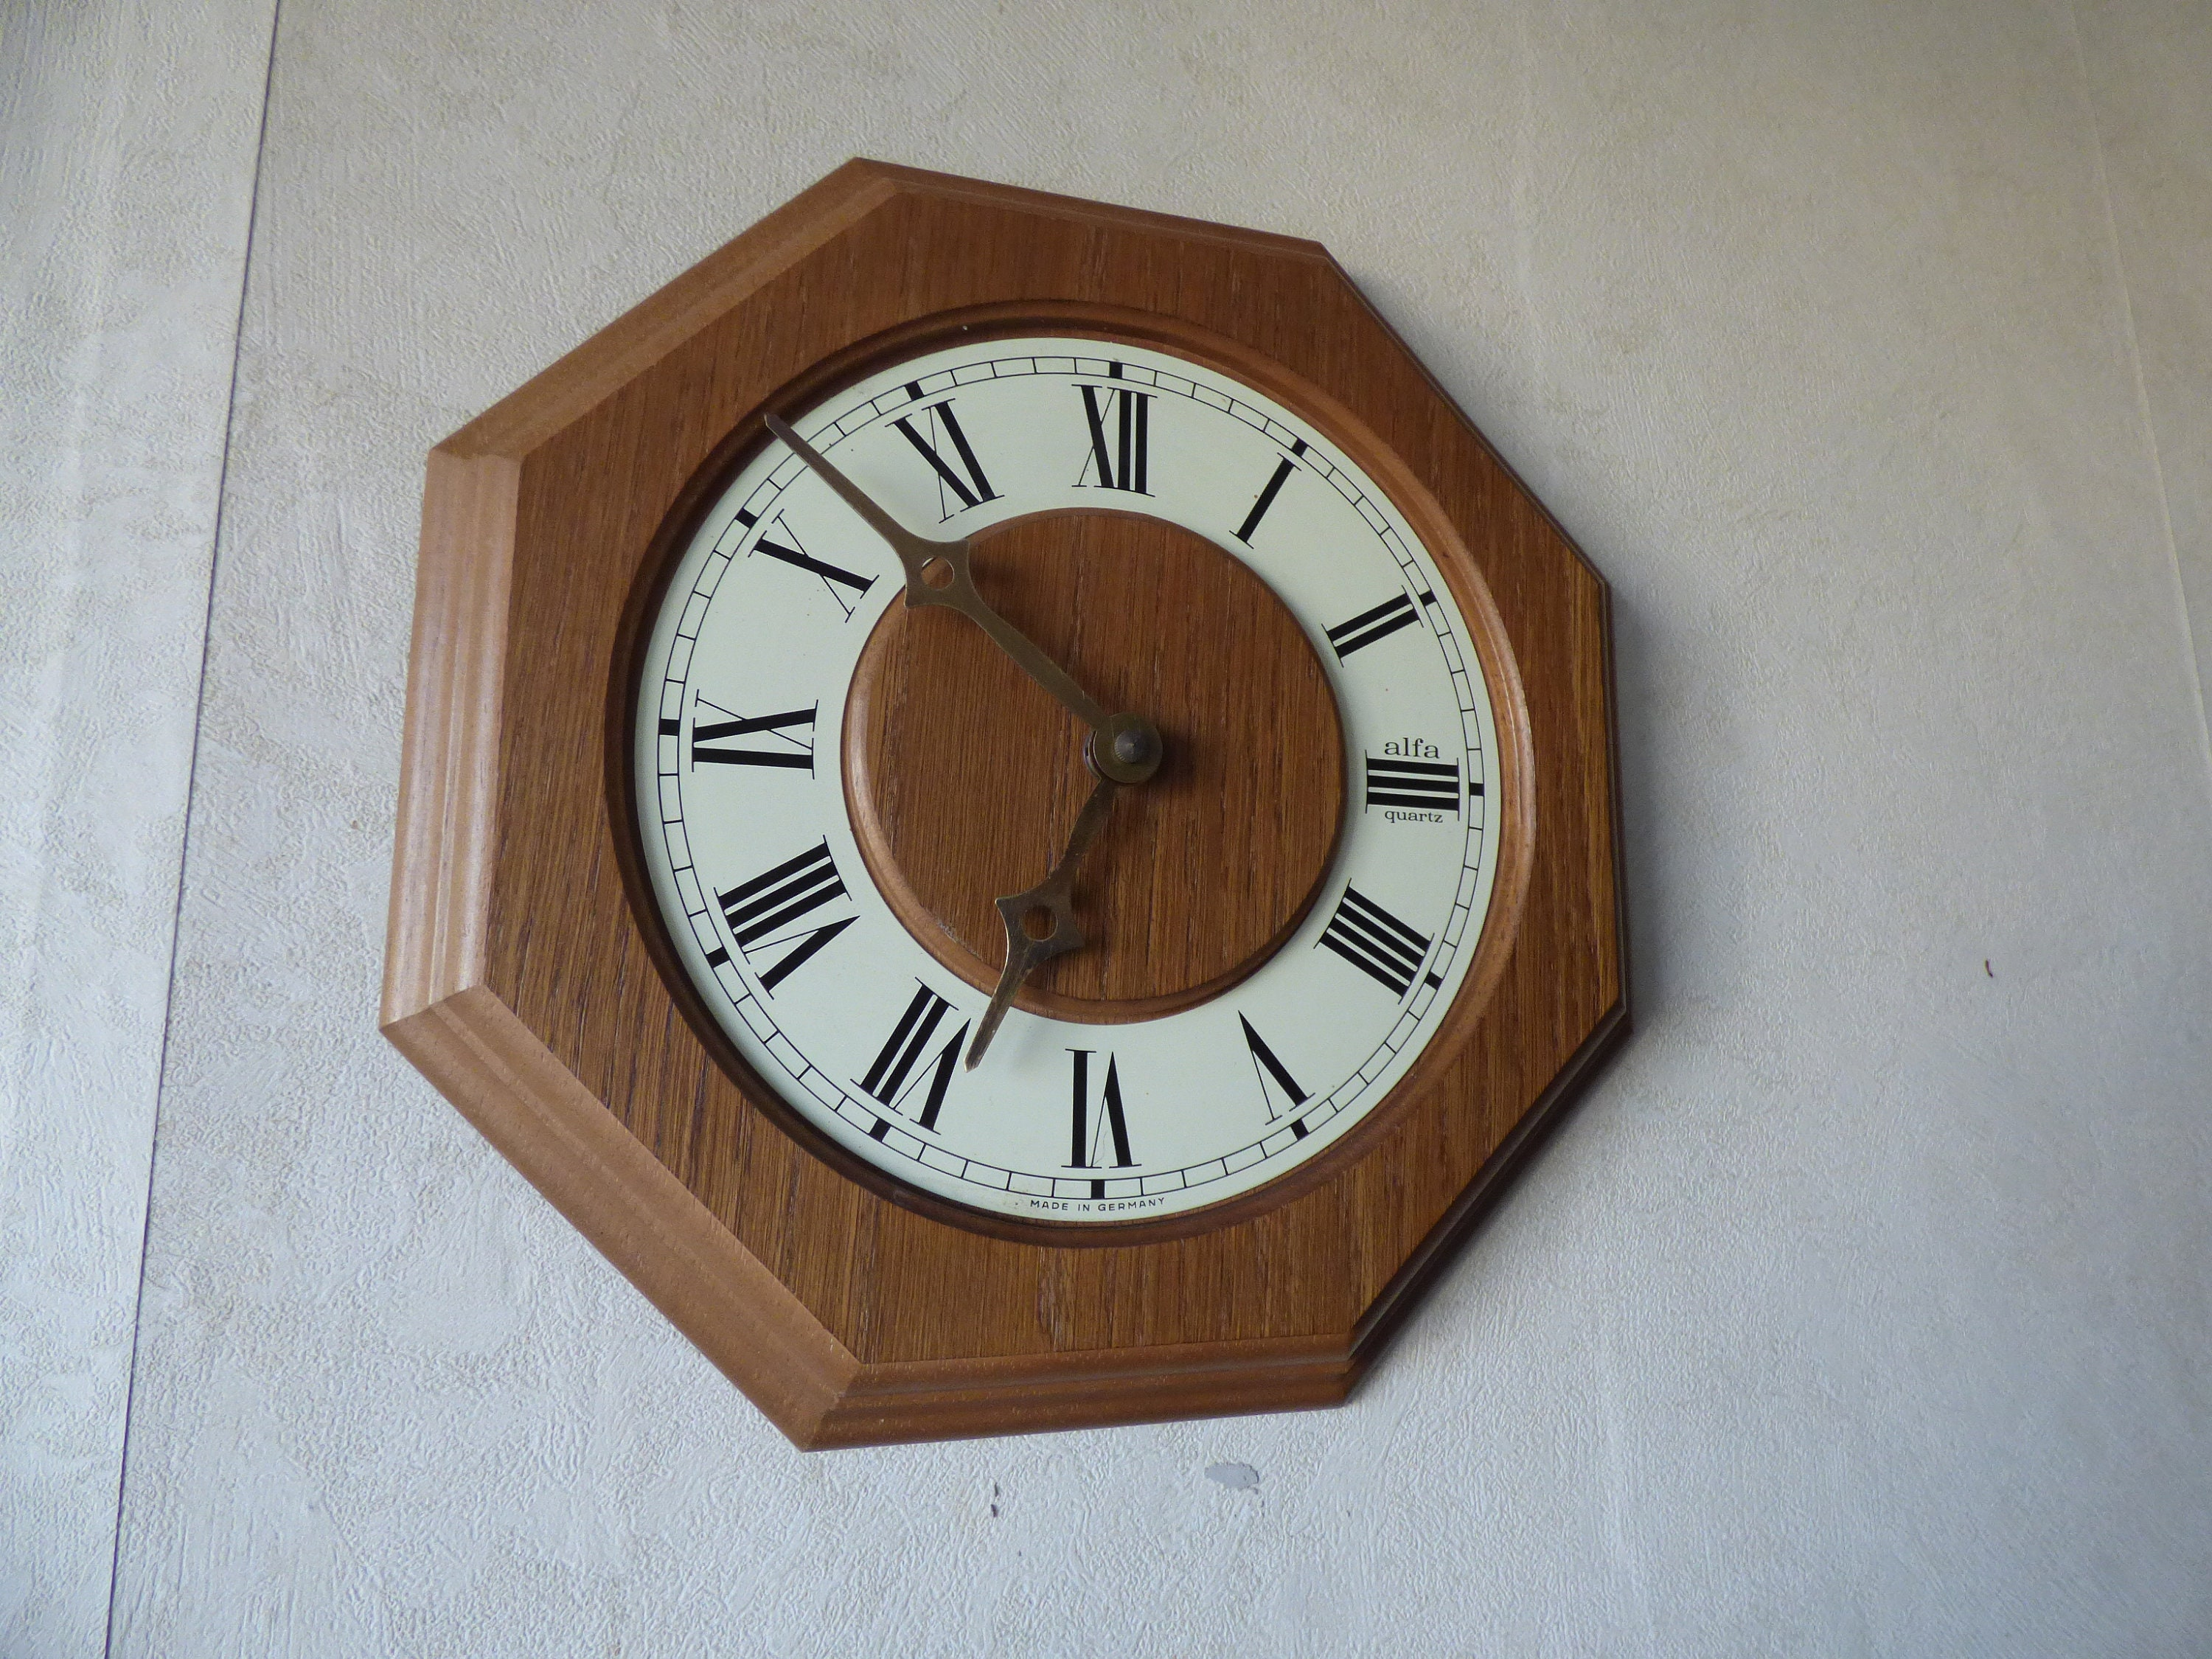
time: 6:52
